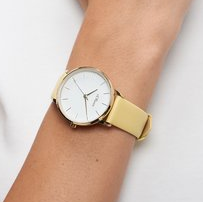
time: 2:29
